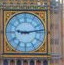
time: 9:13
